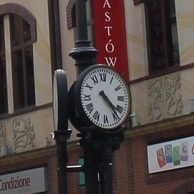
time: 4:23
